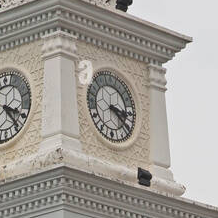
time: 3:21
